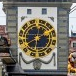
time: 6:10
